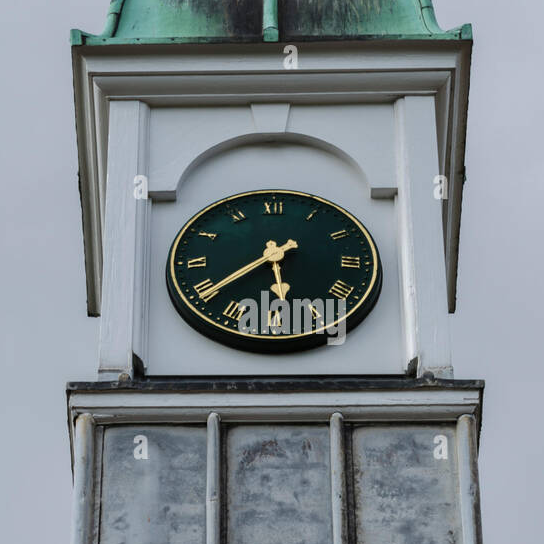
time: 5:39
